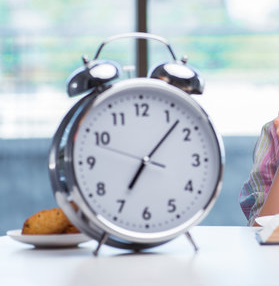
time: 7:07
